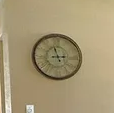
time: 2:57
